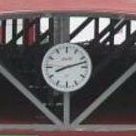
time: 8:12
